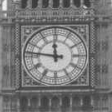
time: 11:46
